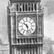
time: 10:28
